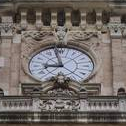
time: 8:57
